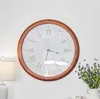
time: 3:32
